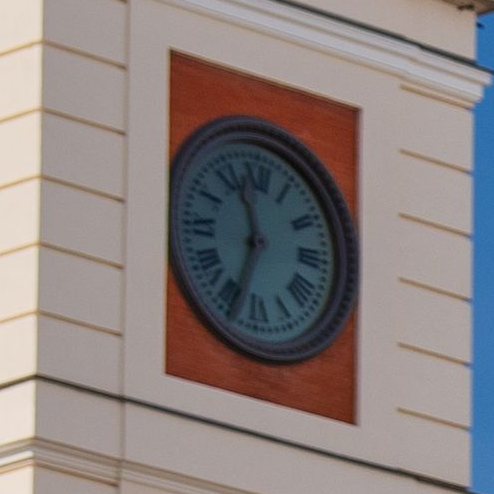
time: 11:33
